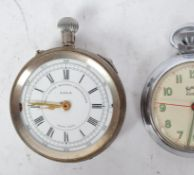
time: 8:45
